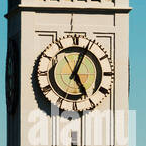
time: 5:03
